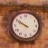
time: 9:50
